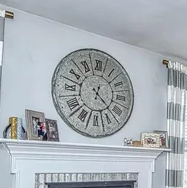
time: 12:22
